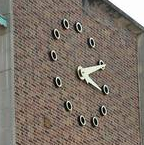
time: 2:16
